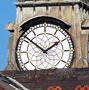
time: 1:51
